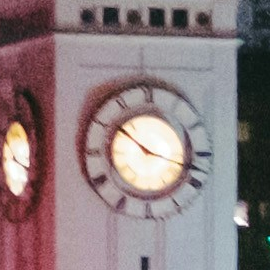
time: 10:17
